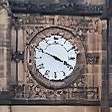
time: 3:48
